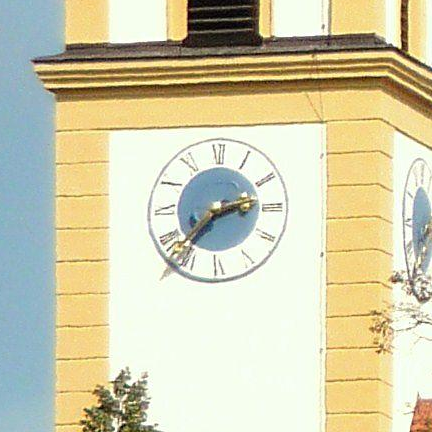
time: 2:37
